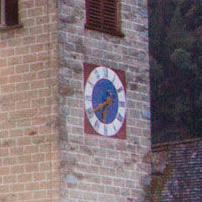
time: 6:40
